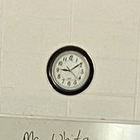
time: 9:09
